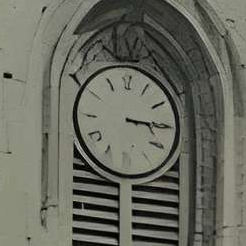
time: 3:15
